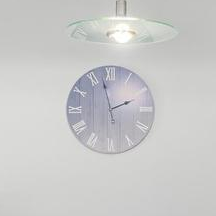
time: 1:57
